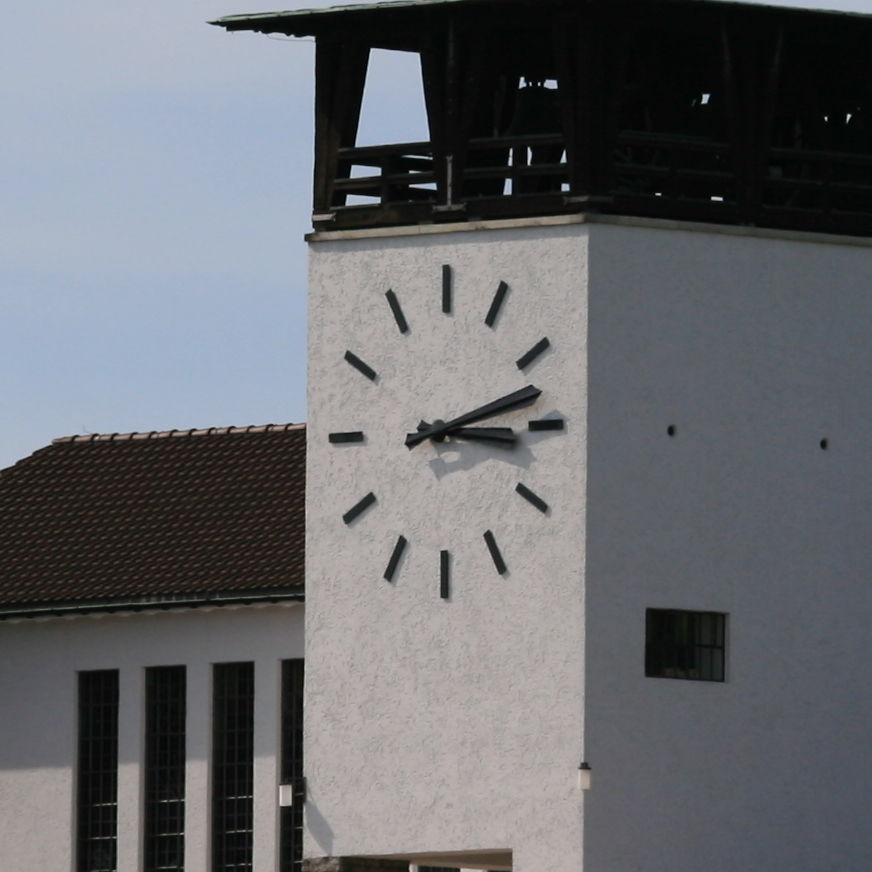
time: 3:12
